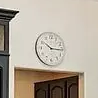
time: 10:15
